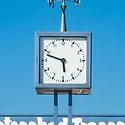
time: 5:48
